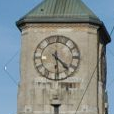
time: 4:29
